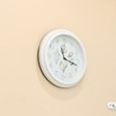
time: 11:17
